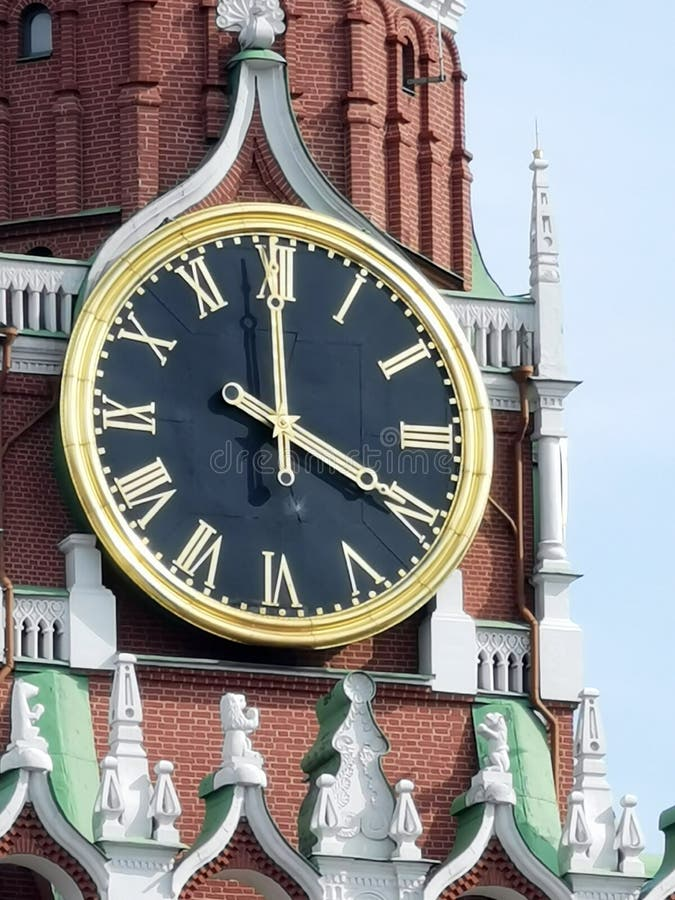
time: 4:00
